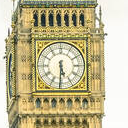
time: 5:30
